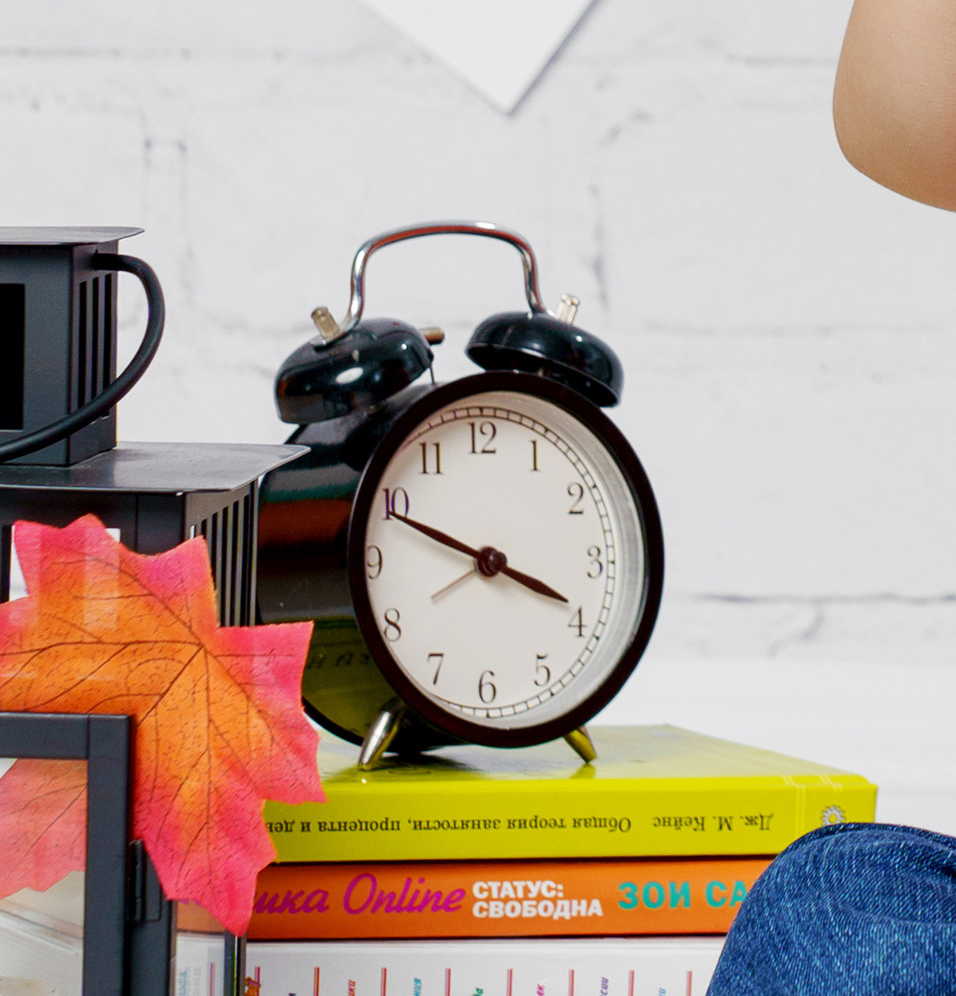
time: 3:48
